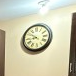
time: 8:51
